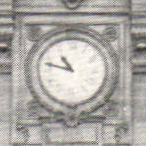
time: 10:47
